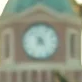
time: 4:35
